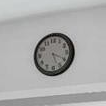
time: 5:19
